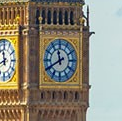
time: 11:40
